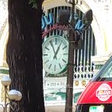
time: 12:55
